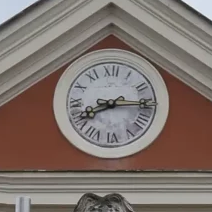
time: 8:14
